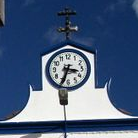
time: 3:33
